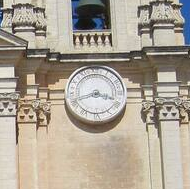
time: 3:41
